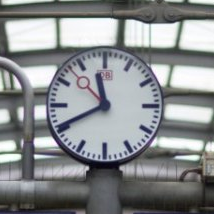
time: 11:40
